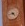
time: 4:42
